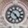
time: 4:50
